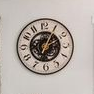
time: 2:04
